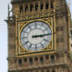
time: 3:14
